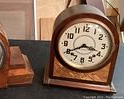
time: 3:40
